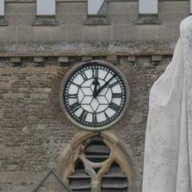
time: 12:07
